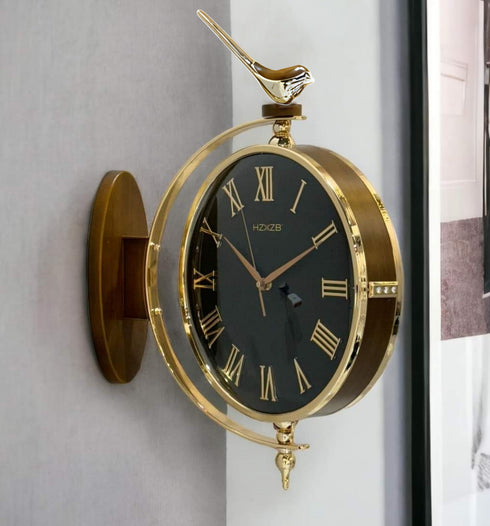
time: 5:50
